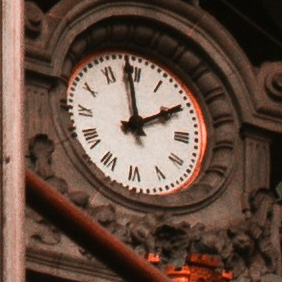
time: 1:59
